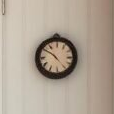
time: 4:50
